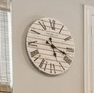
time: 5:18
